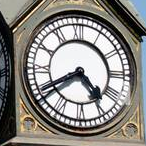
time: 4:40
